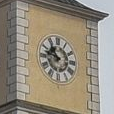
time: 10:47
